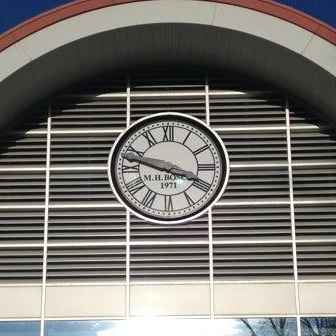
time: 3:47
